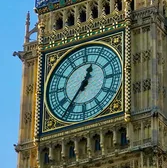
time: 12:36
